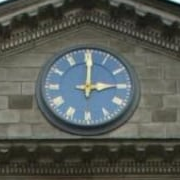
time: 3:00
